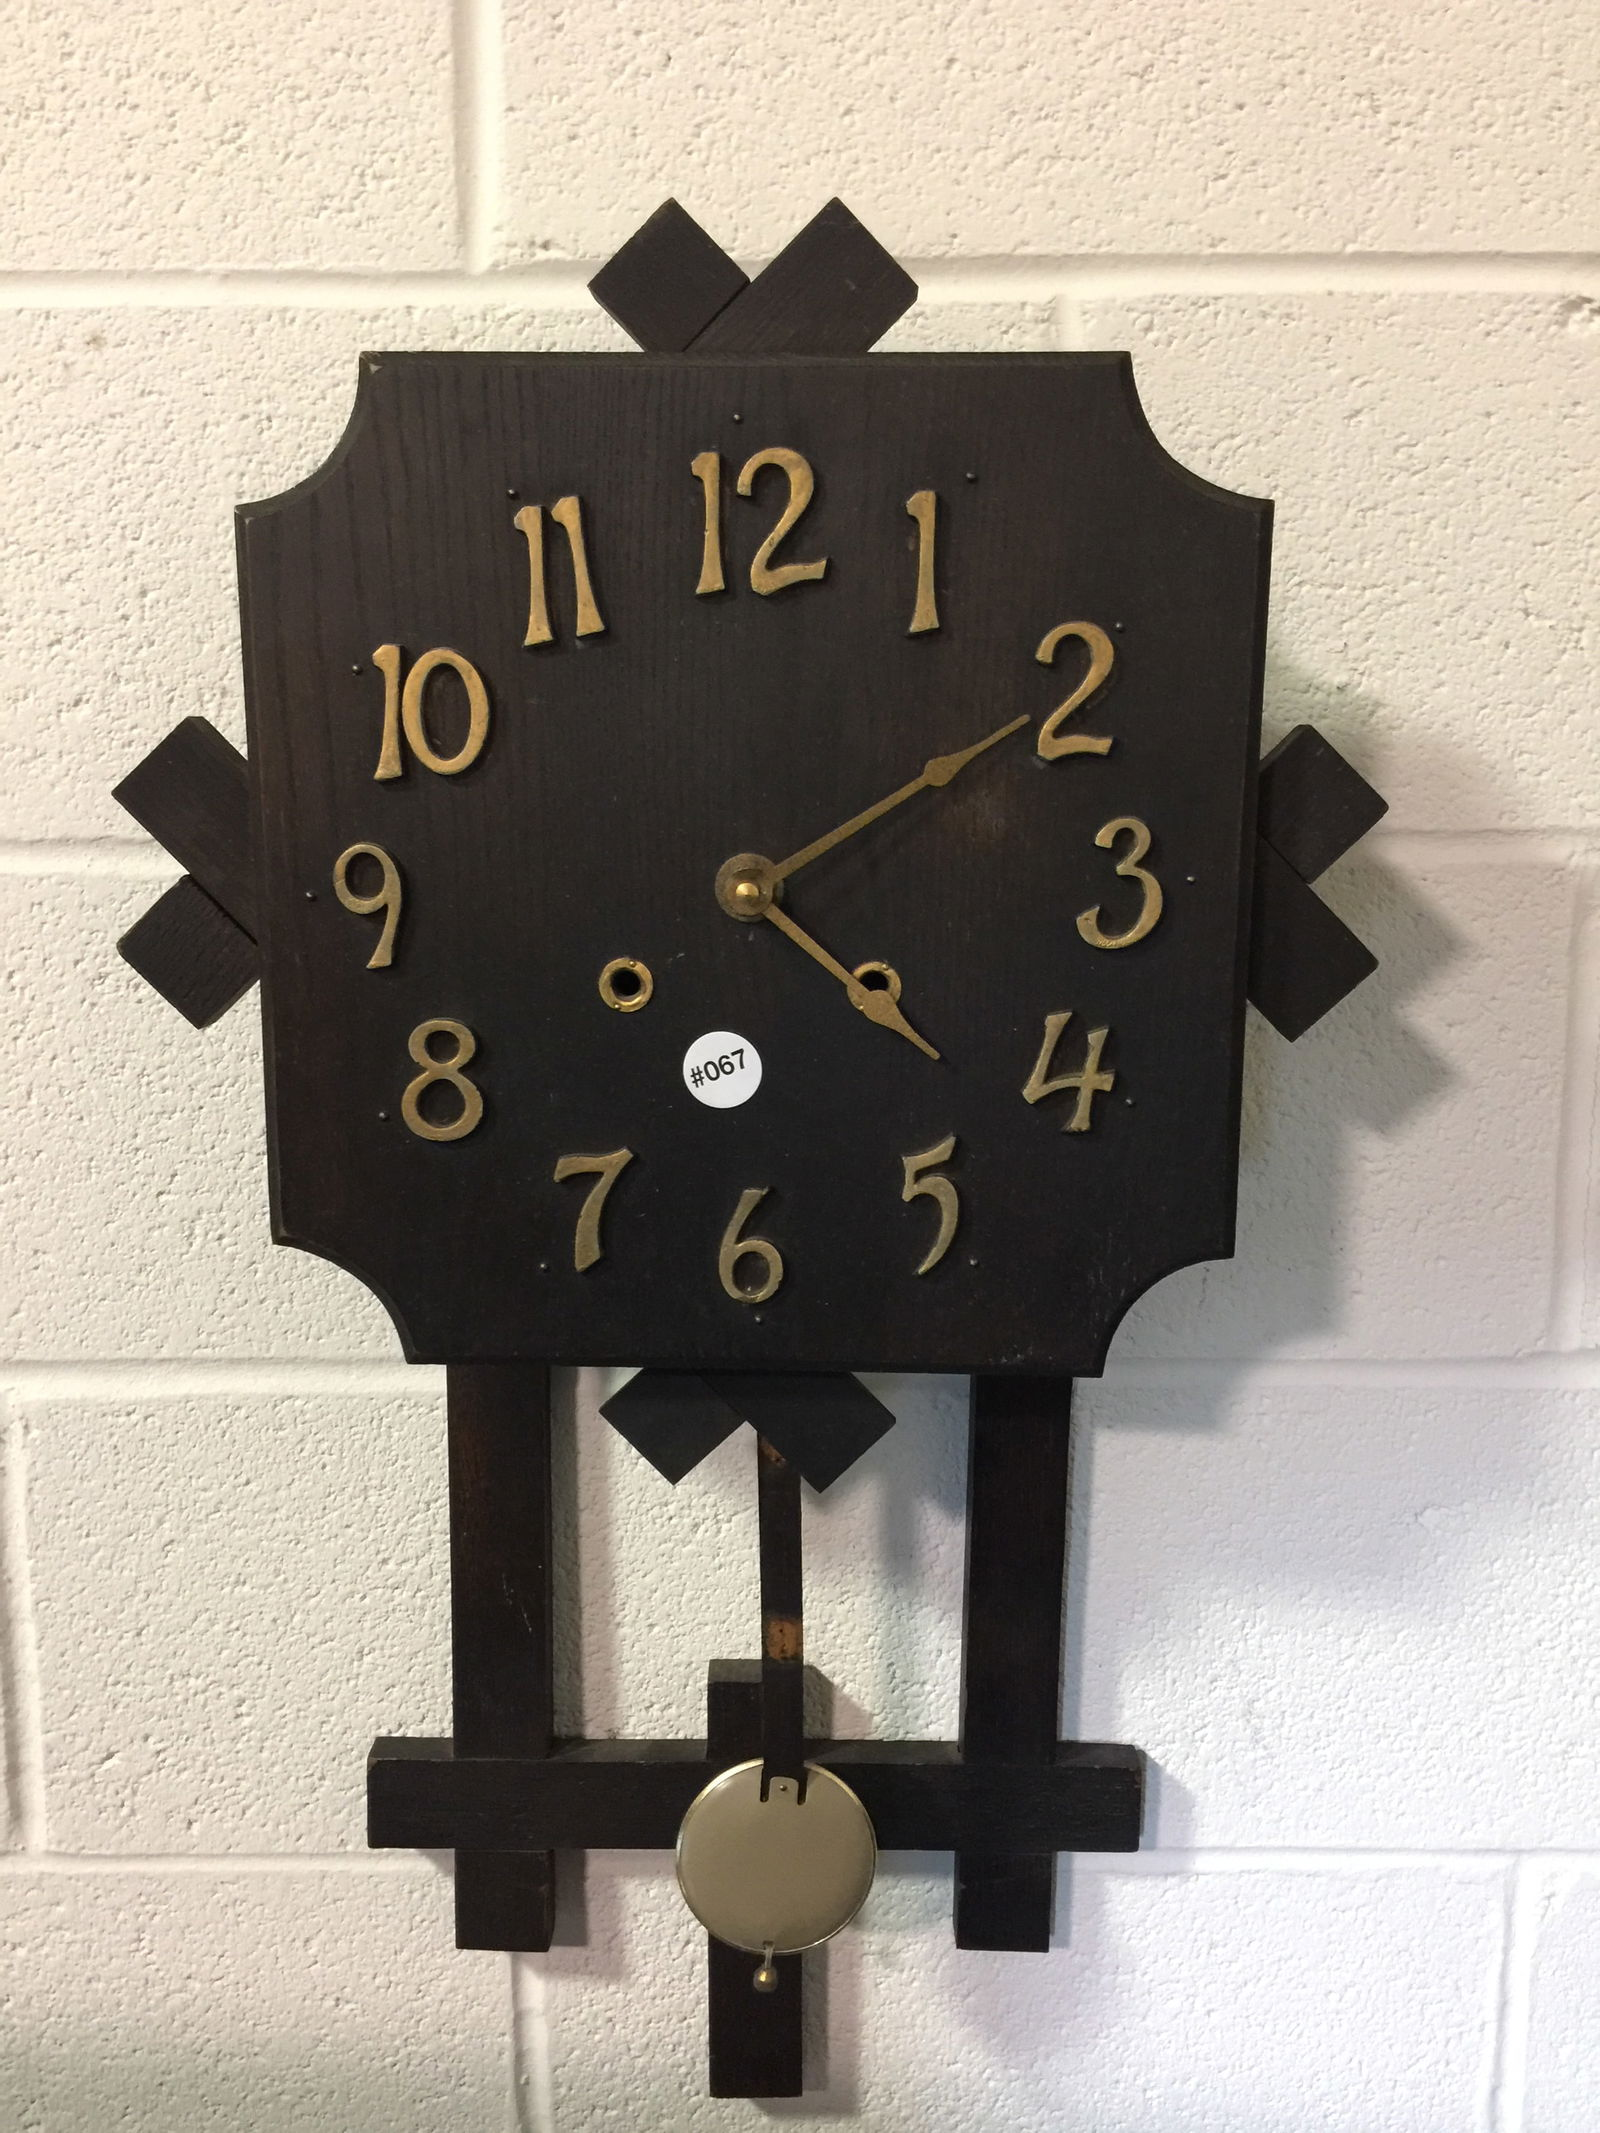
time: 4:10
